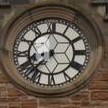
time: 7:37
